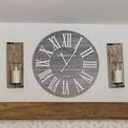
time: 11:05
